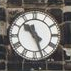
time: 10:26
